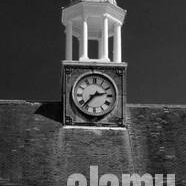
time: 2:37
